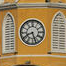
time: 8:26
